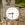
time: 8:31
